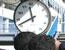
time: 11:41
